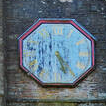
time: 5:23
